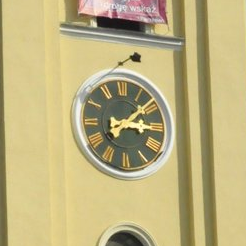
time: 3:08
